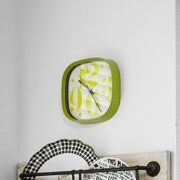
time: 10:24
